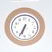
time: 6:34
